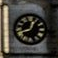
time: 12:42
